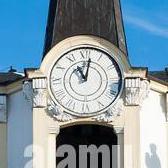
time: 11:01
